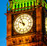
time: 9:55
